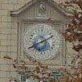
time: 1:40
